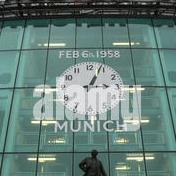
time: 3:04
